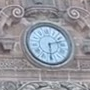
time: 2:29
